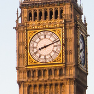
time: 8:11
